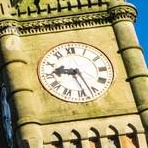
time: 9:27
